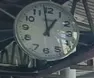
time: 12:58
